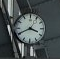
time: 3:40
